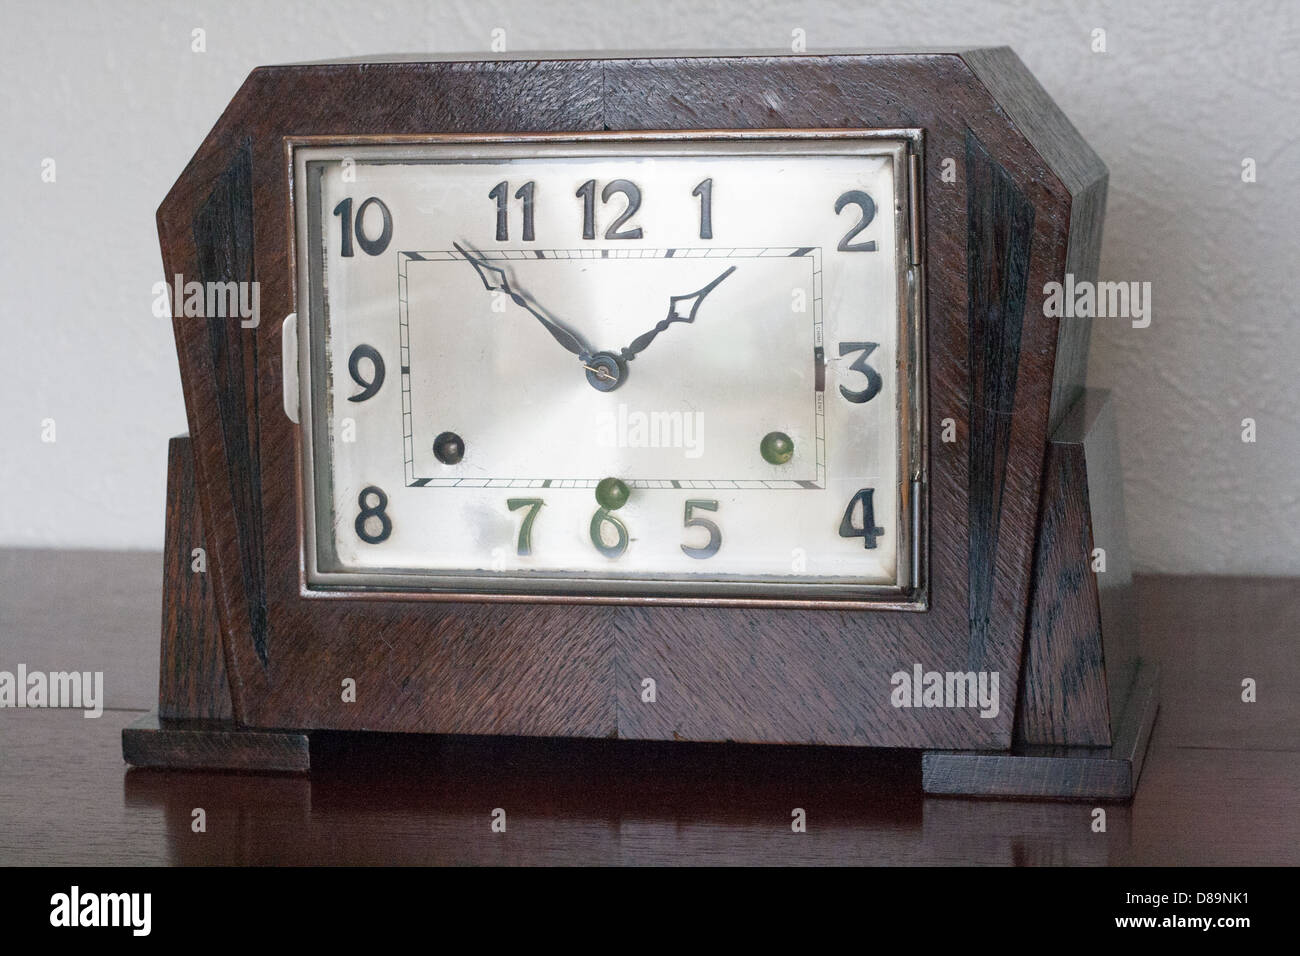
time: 1:52
